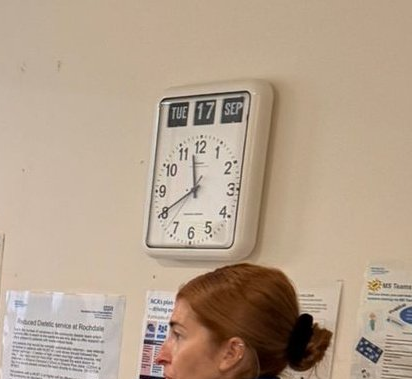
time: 11:40
